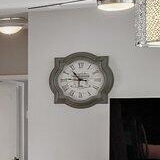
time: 10:45
